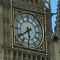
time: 5:38
